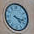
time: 4:17
